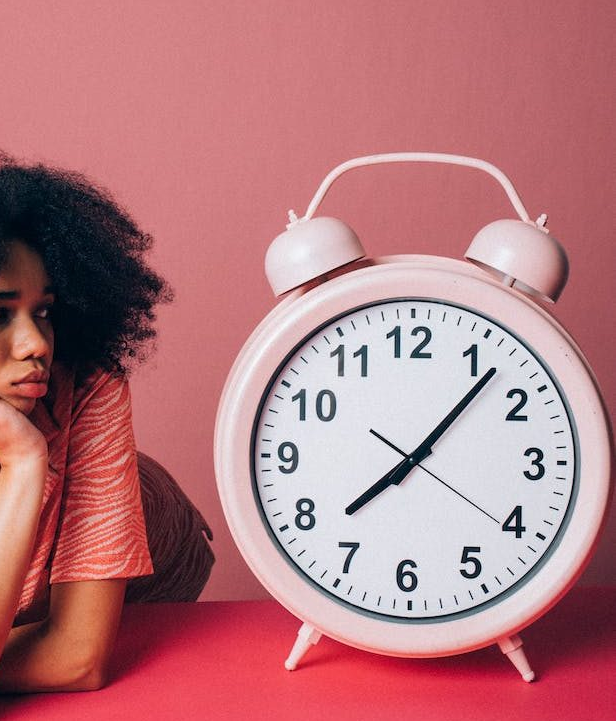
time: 8:07
